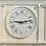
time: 9:12
